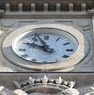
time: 9:56
